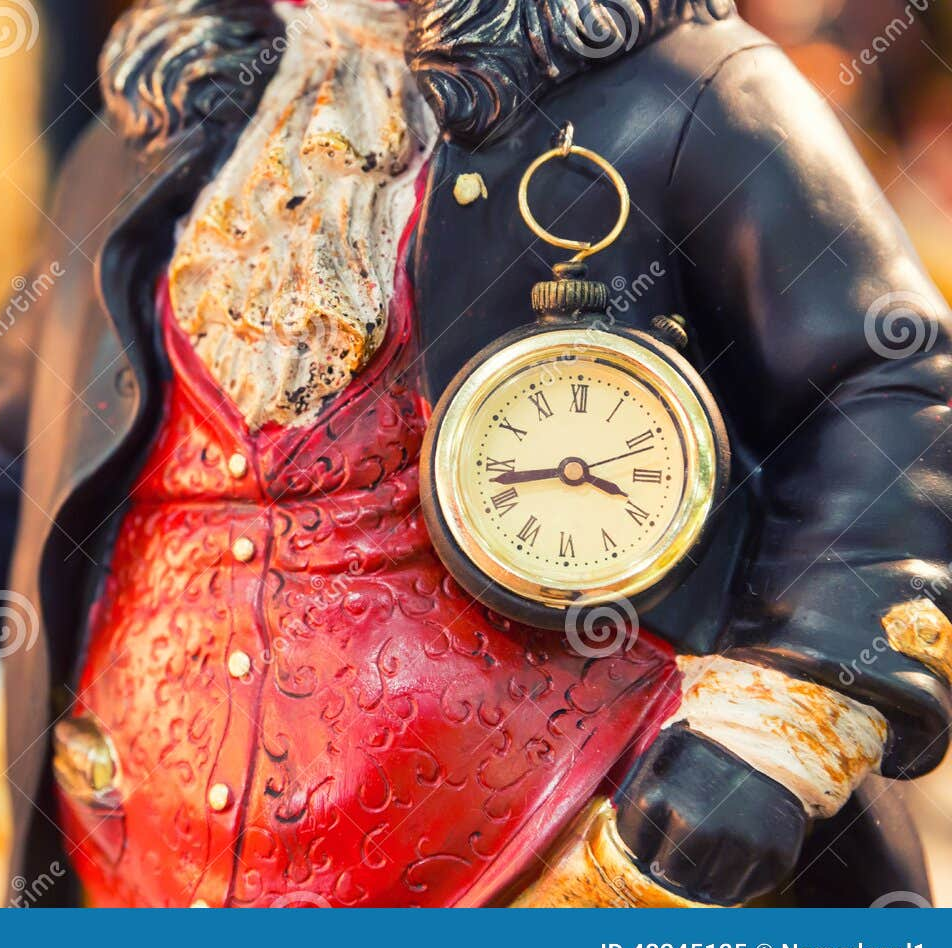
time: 3:43
